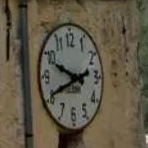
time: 9:41
